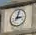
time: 3:02
